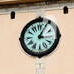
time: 3:04
